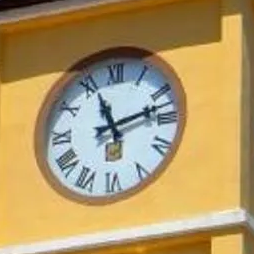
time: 11:12
